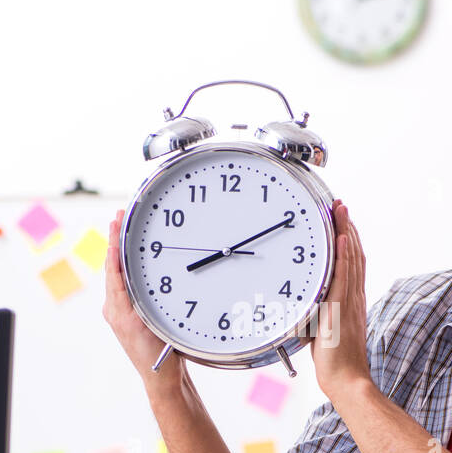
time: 8:10
